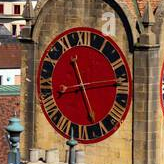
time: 11:13
